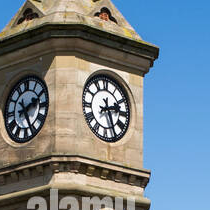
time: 2:26
